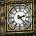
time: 2:22
